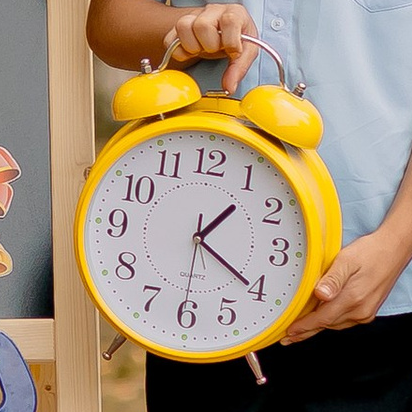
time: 1:20
